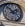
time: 1:52
